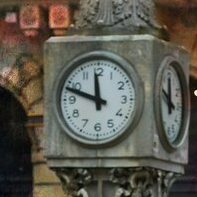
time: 11:48
